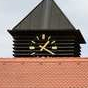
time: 1:20
